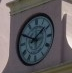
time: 1:49
